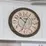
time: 10:33
